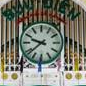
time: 9:38
